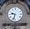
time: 9:33
